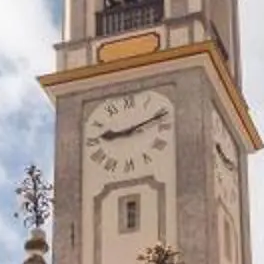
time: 9:11
